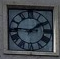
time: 1:46
